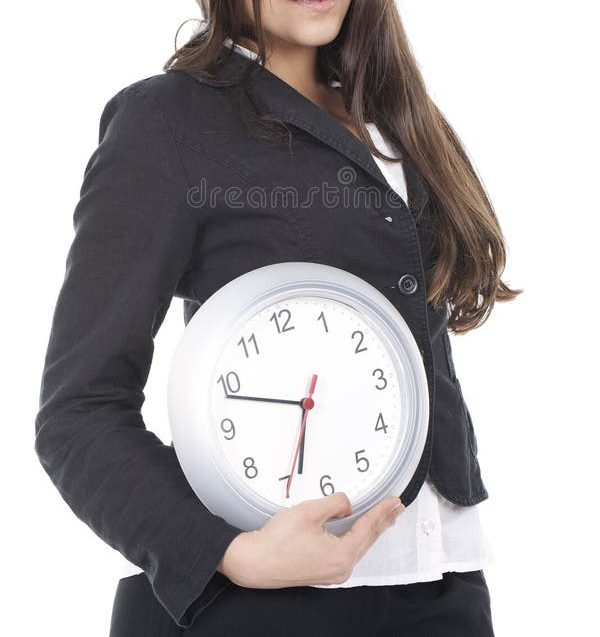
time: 6:48
